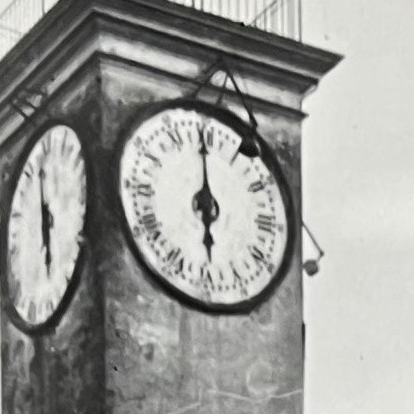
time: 5:59
